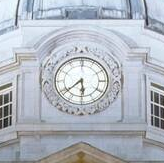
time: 5:38
